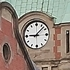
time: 9:07
